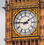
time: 1:46
